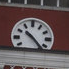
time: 10:23
